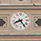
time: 8:24
